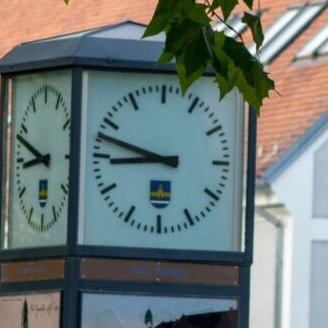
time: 8:47
